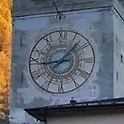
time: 1:44
